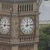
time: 12:13
